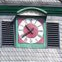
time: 10:39
